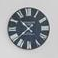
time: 10:37
